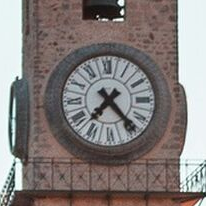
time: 7:23
